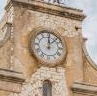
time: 12:07
